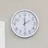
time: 2:00
